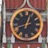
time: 12:41
